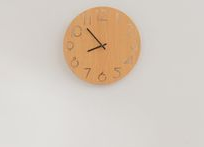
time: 8:53
